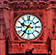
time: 9:36
